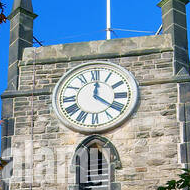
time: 12:20
